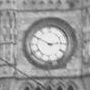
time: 2:50
